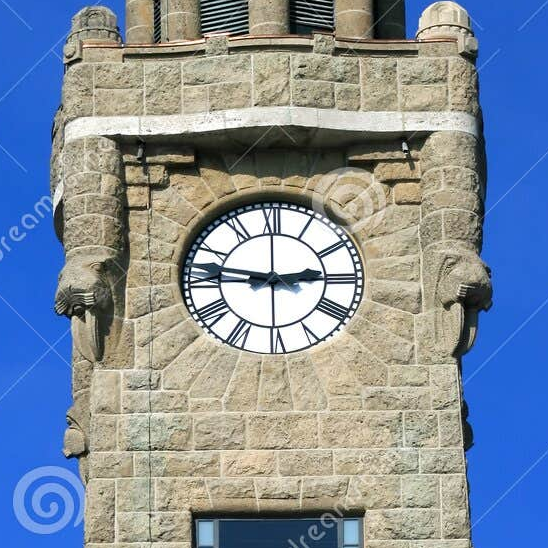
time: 2:46
